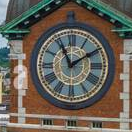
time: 11:09
